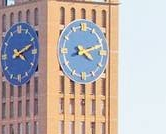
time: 4:12
